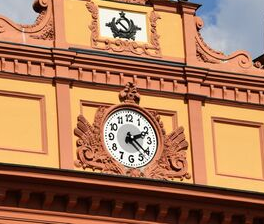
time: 2:21
